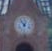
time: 12:53
